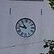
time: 10:47
